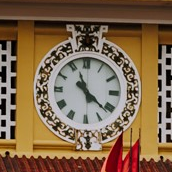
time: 11:21
